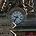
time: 9:36
